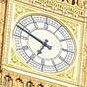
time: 6:48
